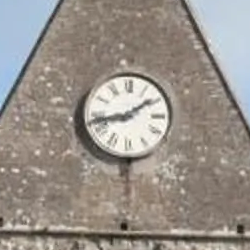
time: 1:42
